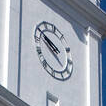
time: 9:50
